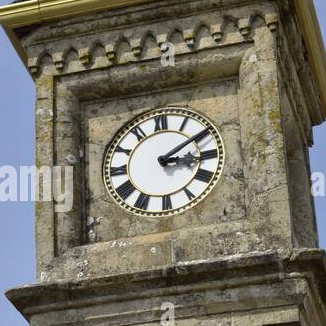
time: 3:09
